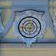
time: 9:01
